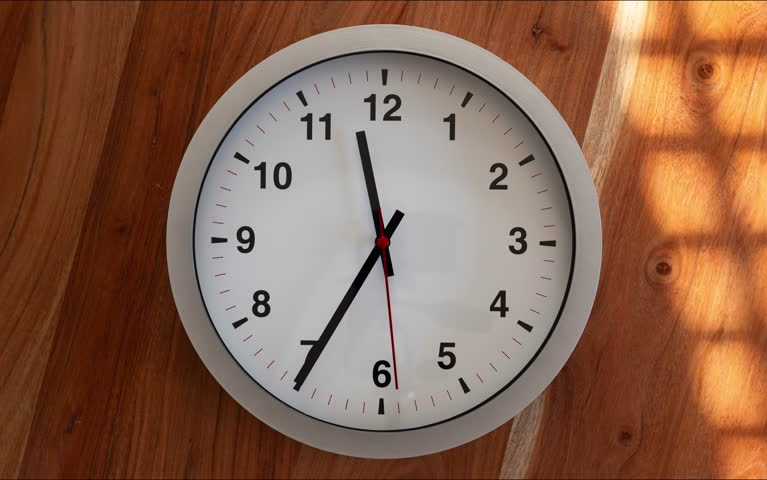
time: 11:35
